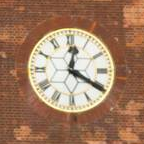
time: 12:20
